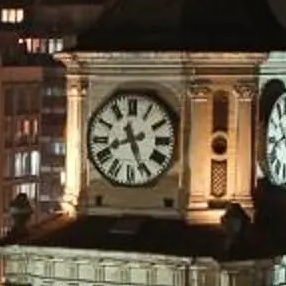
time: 8:26
